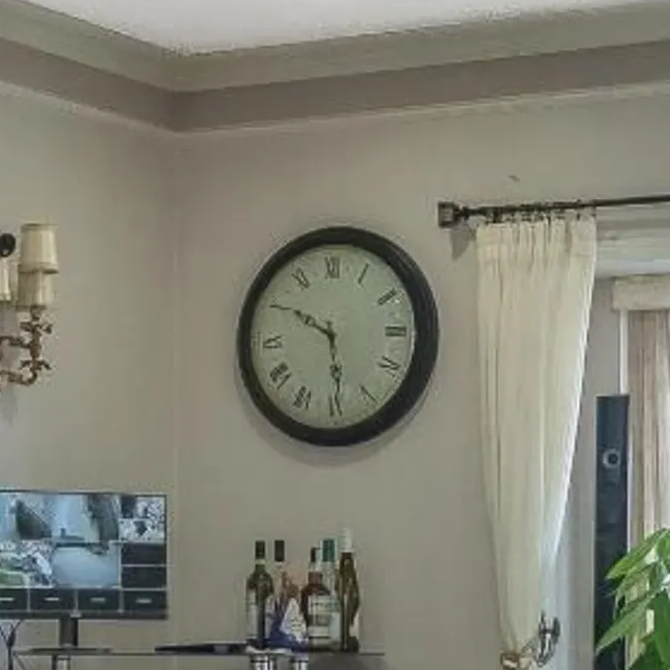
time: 5:50
